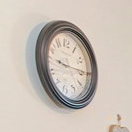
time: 9:14
